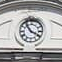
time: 3:53
